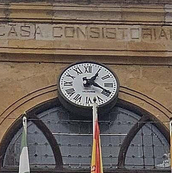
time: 1:19
